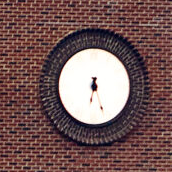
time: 6:27
